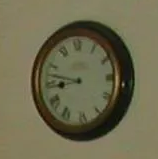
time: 8:47
